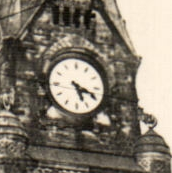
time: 5:18
